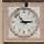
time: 2:53
